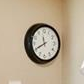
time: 11:40
